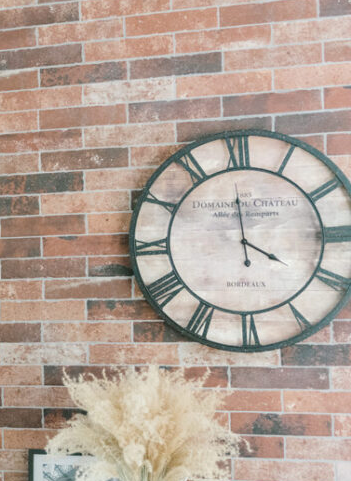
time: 3:59
